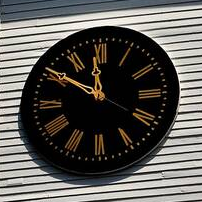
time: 11:50
